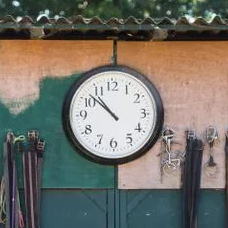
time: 10:52
